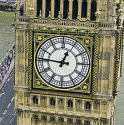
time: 12:46
